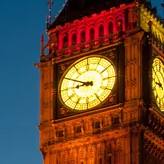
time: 8:49
